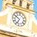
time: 6:50
